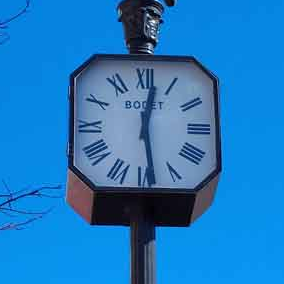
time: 12:28
